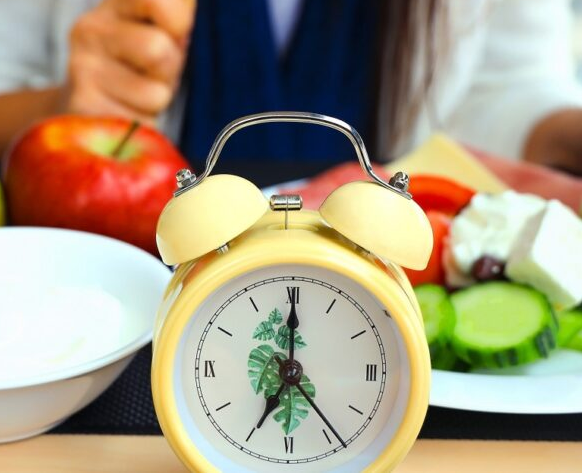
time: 7:00
